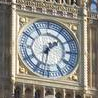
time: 1:32
